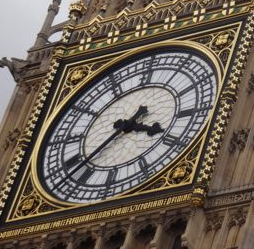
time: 3:37
